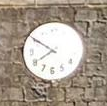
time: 7:50
